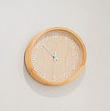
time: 10:30
